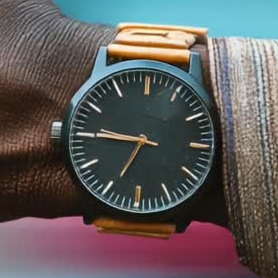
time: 6:45
